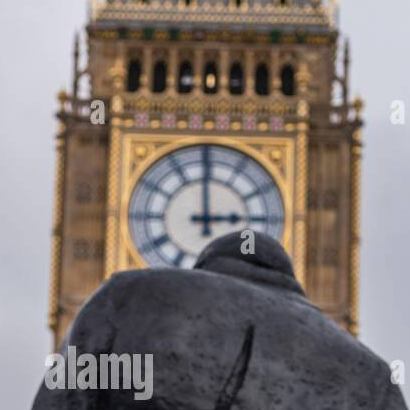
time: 2:59
